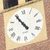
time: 4:54
